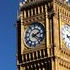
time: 2:21
